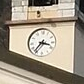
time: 3:36
